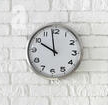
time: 9:58
